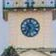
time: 10:34
